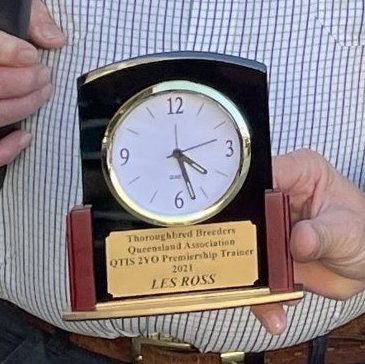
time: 4:26
